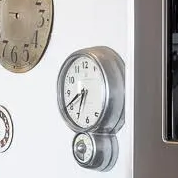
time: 6:40
